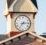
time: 7:14
